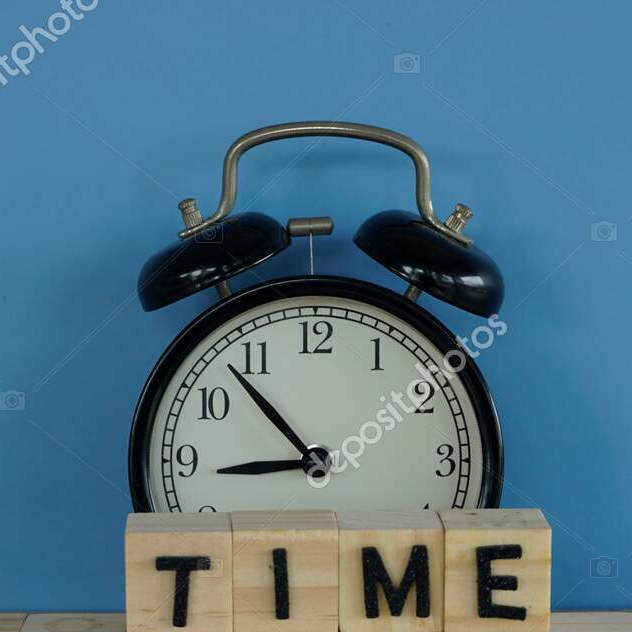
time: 8:53
